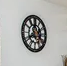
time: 11:40
